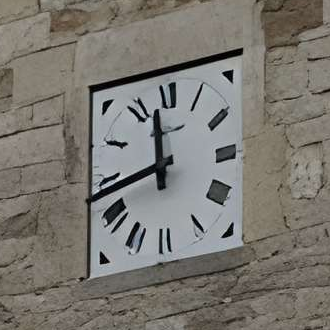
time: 11:43
